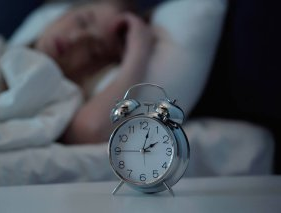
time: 2:02
